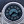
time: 7:17
